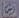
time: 2:38
